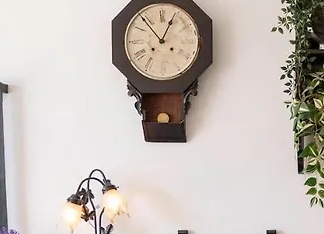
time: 12:53
